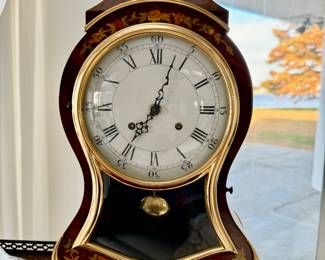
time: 7:03
